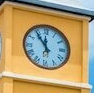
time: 11:53
